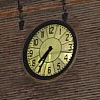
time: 7:35
